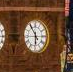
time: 5:54
